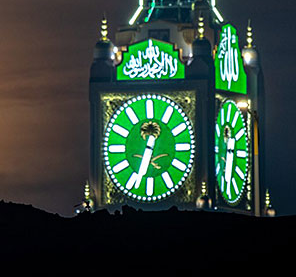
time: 12:33
